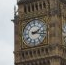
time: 2:17
